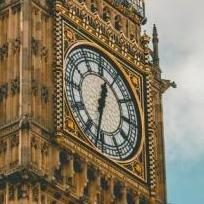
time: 12:32
